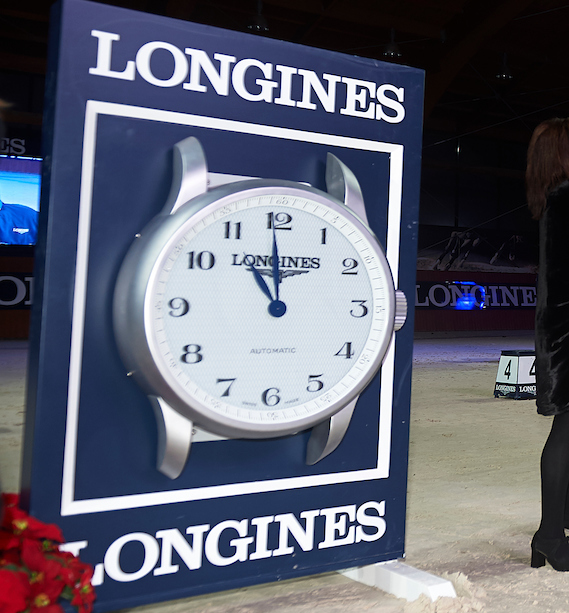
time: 10:59
